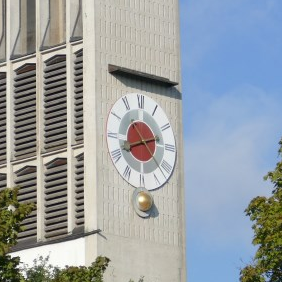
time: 8:12
